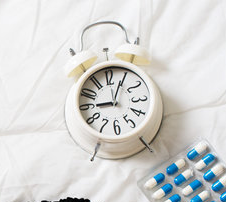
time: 9:04
